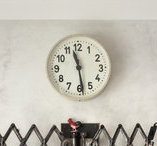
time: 11:28
